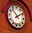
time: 1:53
